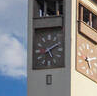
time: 5:09
